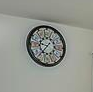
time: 9:36
